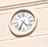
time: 4:34
